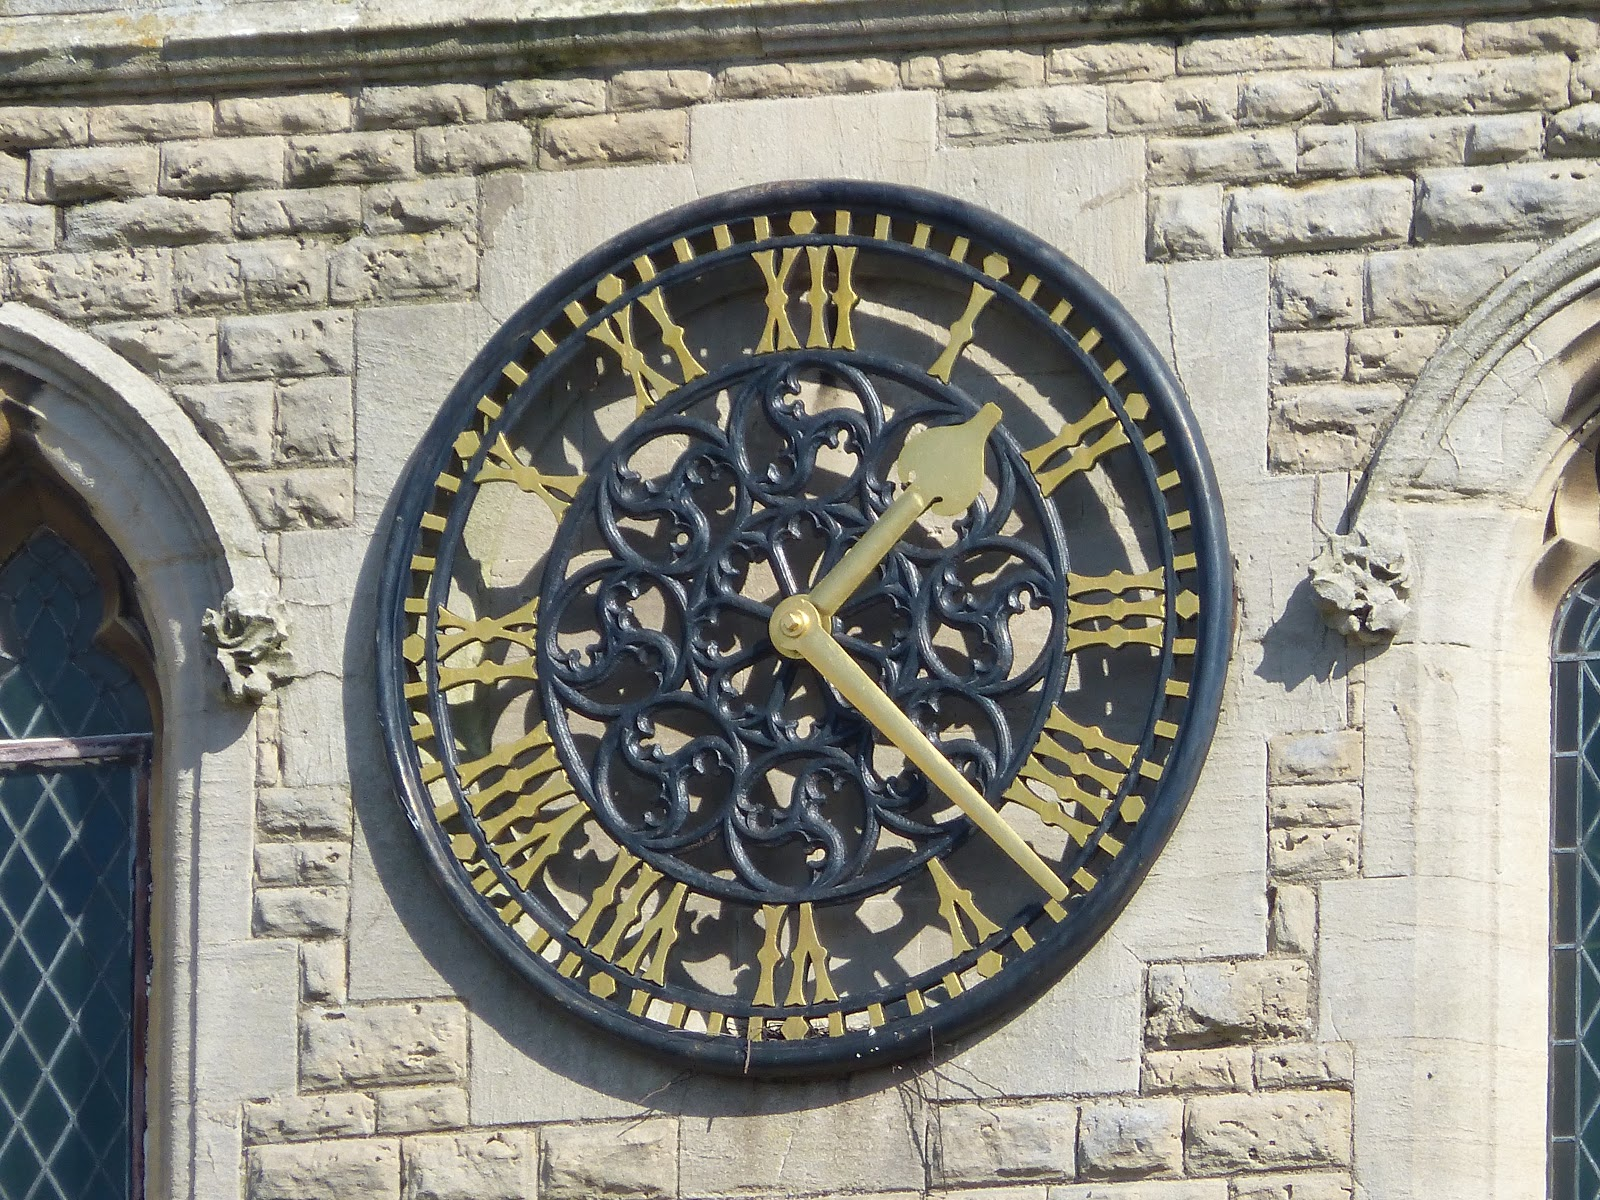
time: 1:21
